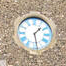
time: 1:28
